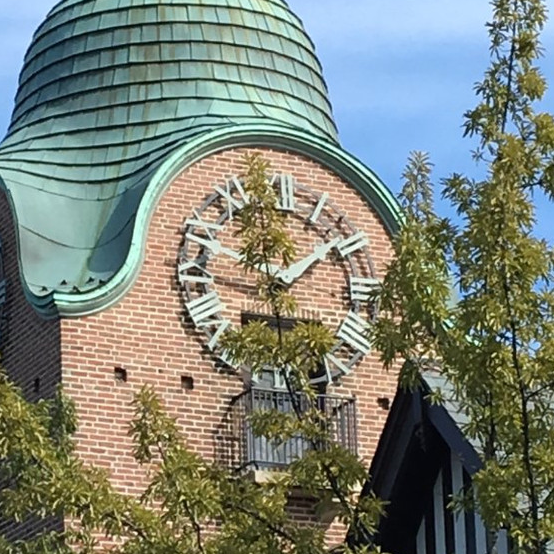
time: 1:46
